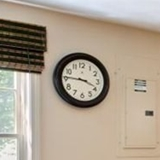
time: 3:45
